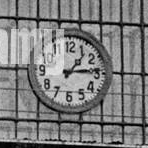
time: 1:13
